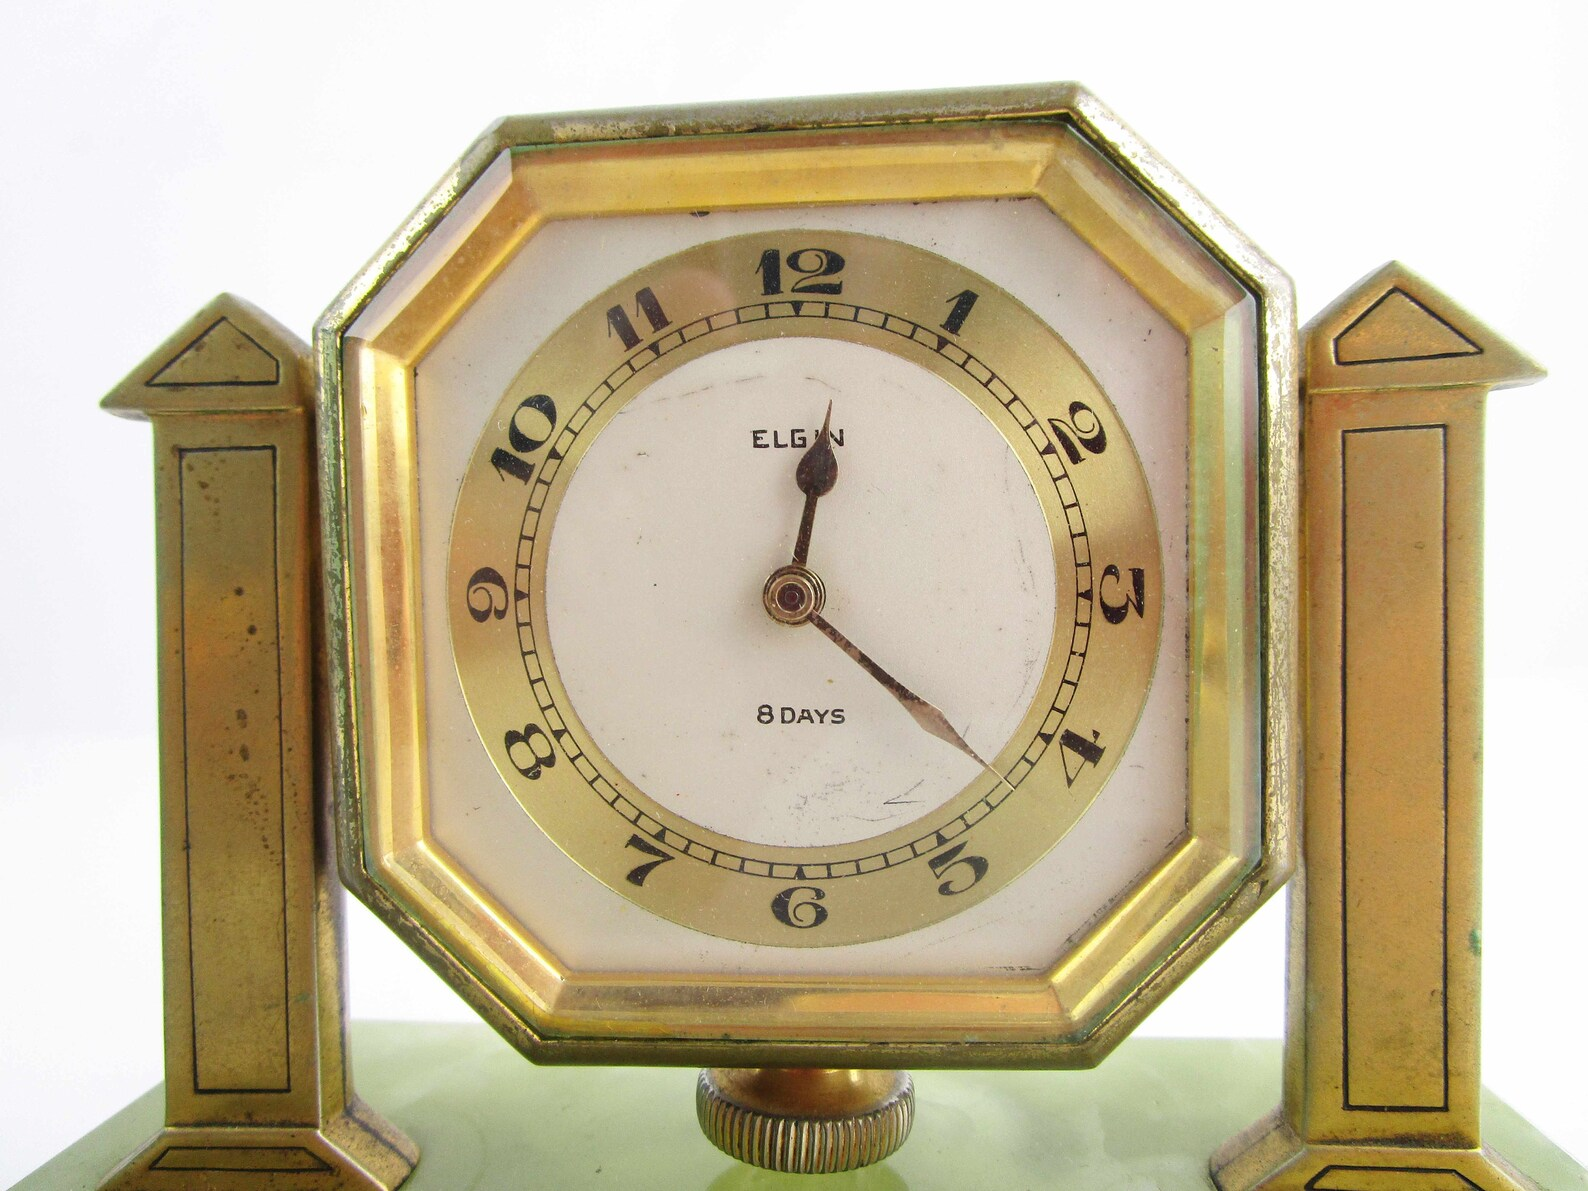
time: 12:21
